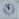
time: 11:55
